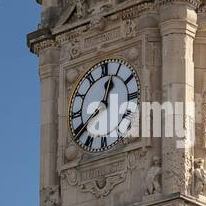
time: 12:40
